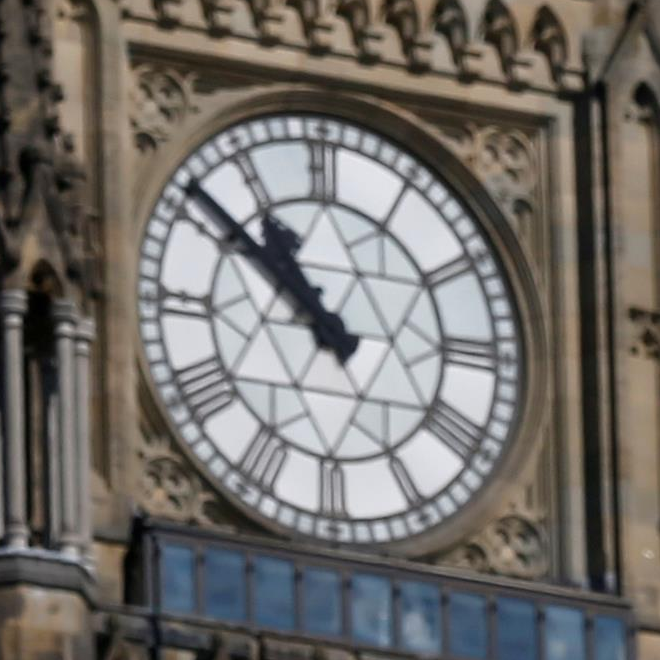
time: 10:51
